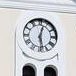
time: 12:28
